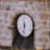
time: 11:32
